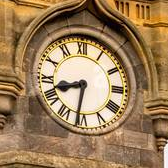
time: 8:31
